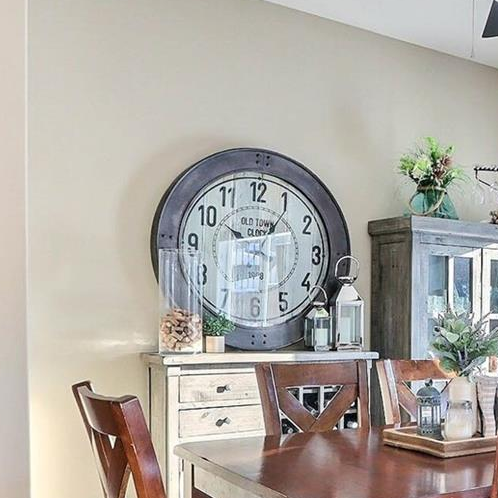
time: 10:05
